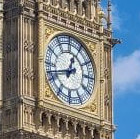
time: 12:42
